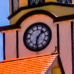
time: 1:32
